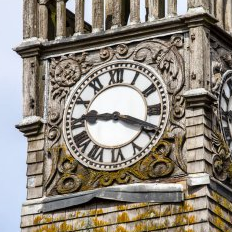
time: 9:18
